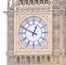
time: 12:49
